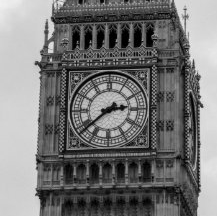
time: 2:38
